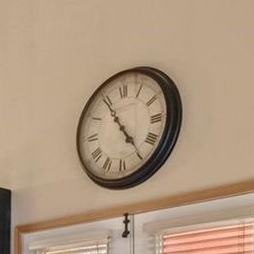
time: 4:54
